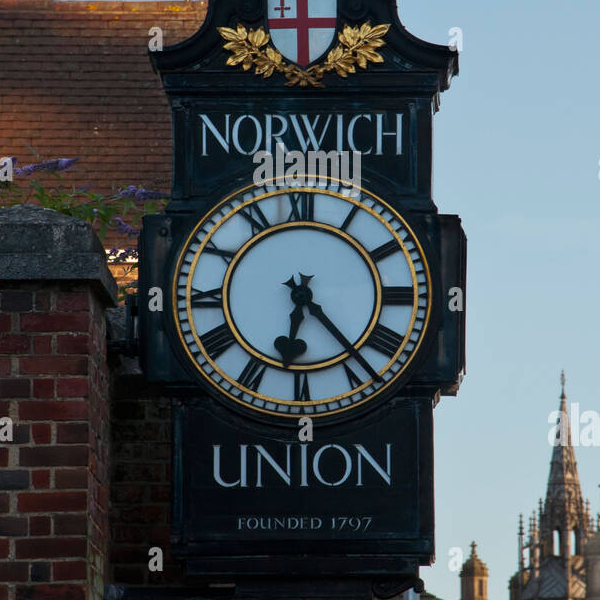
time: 6:23
